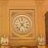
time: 4:36
